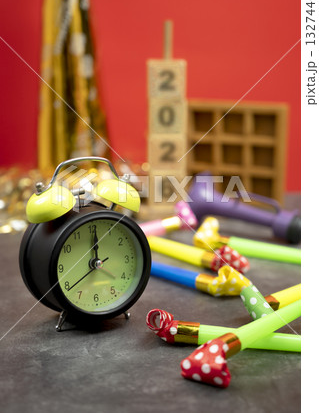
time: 12:00
